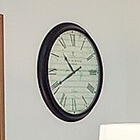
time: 10:40
